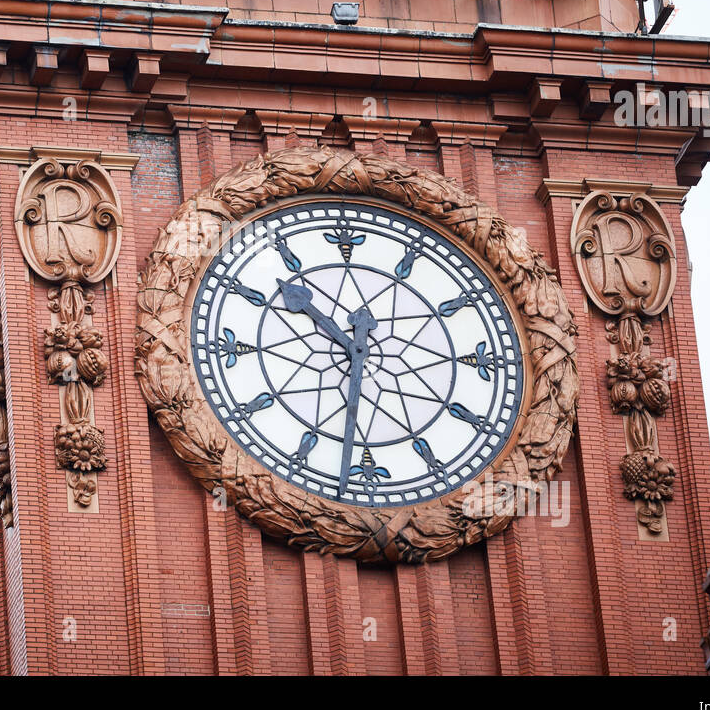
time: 10:31
